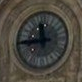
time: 11:43
